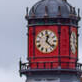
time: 12:22
